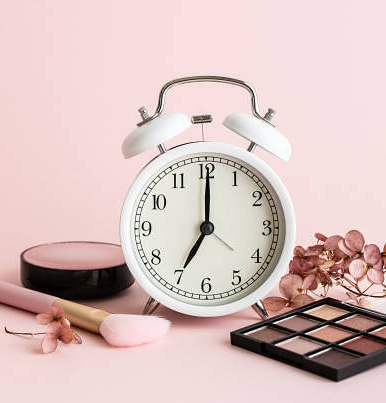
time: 7:00
